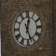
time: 12:26
